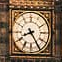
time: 8:24
